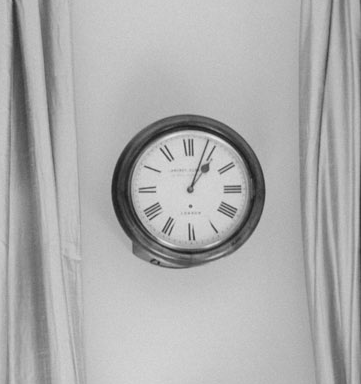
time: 1:03
